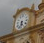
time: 5:33
